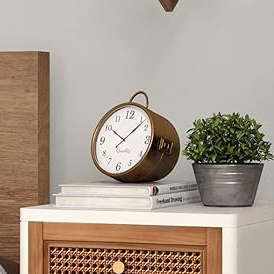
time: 10:07
